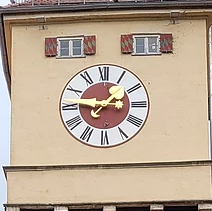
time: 1:46
